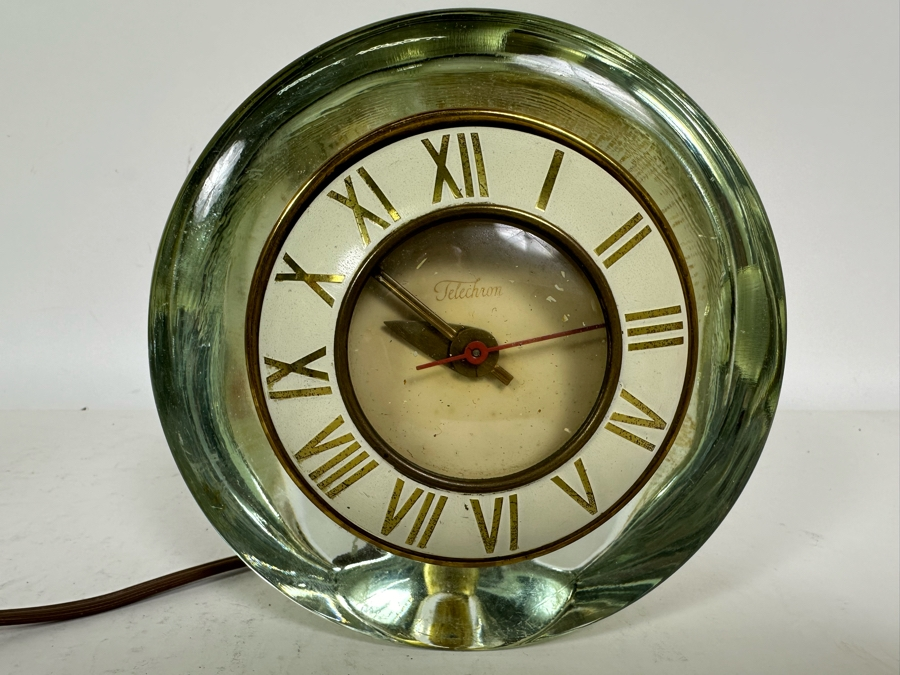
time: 9:53
